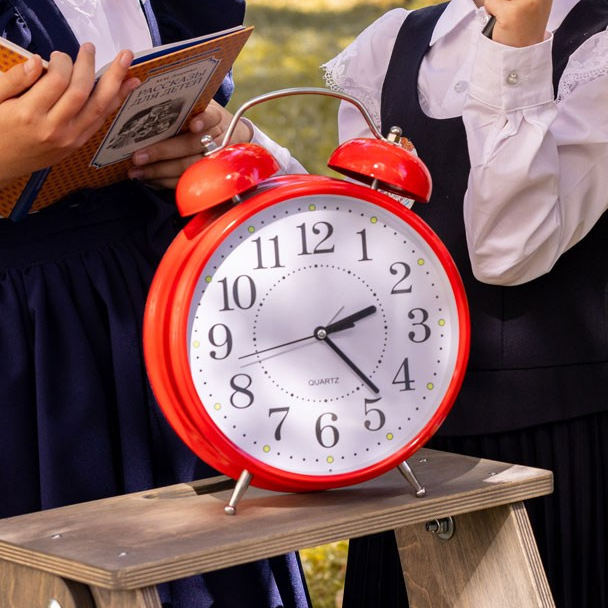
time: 2:23
